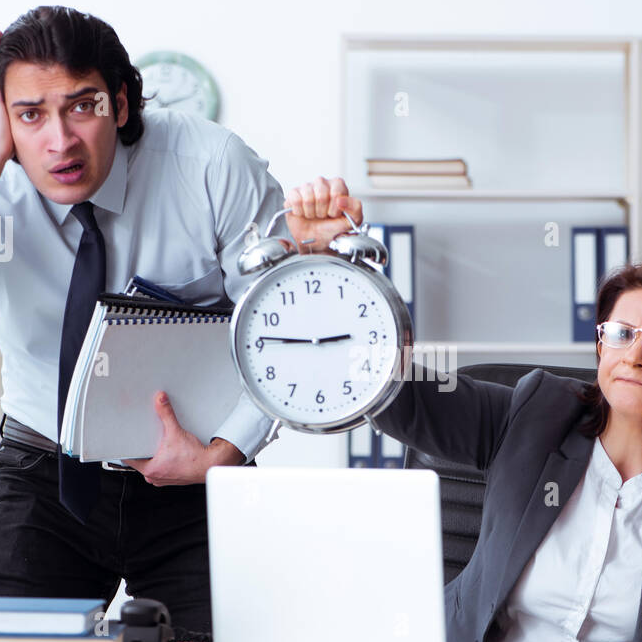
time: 2:46
